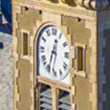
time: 12:33
